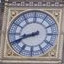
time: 8:41
